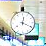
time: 12:19
